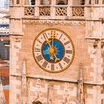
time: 5:59
